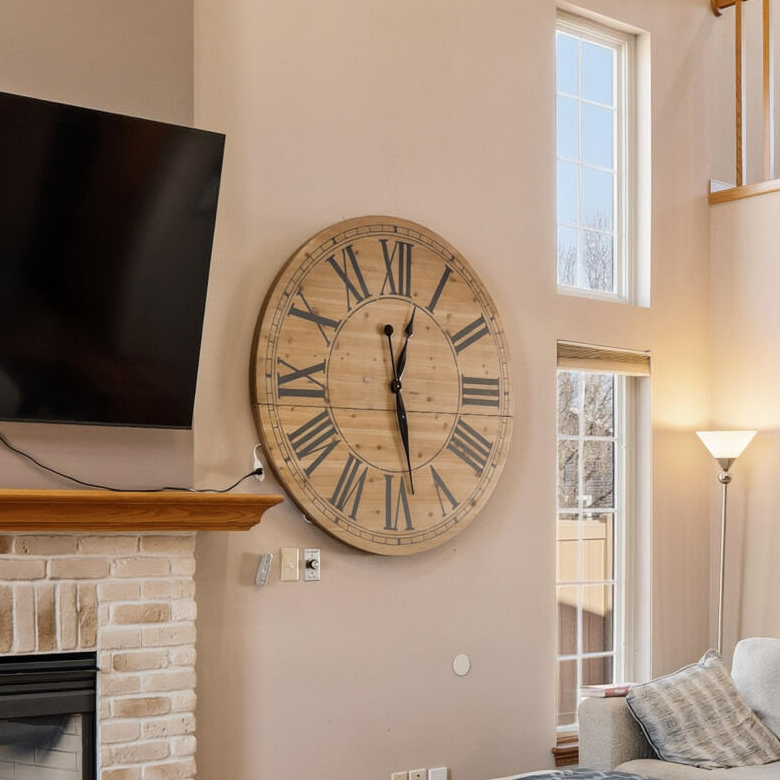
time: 12:28
